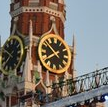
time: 7:51
